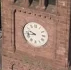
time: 9:42
